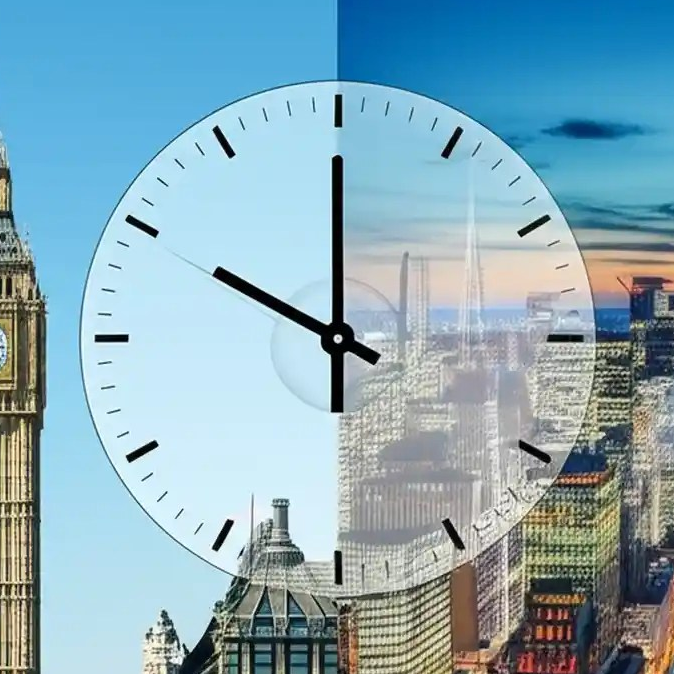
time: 9:59
